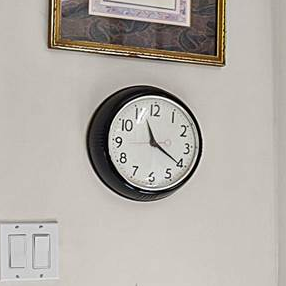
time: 11:20
